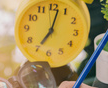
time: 7:02
